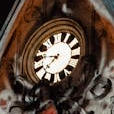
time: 7:45
